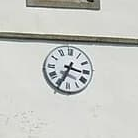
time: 3:34
